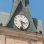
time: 3:28
